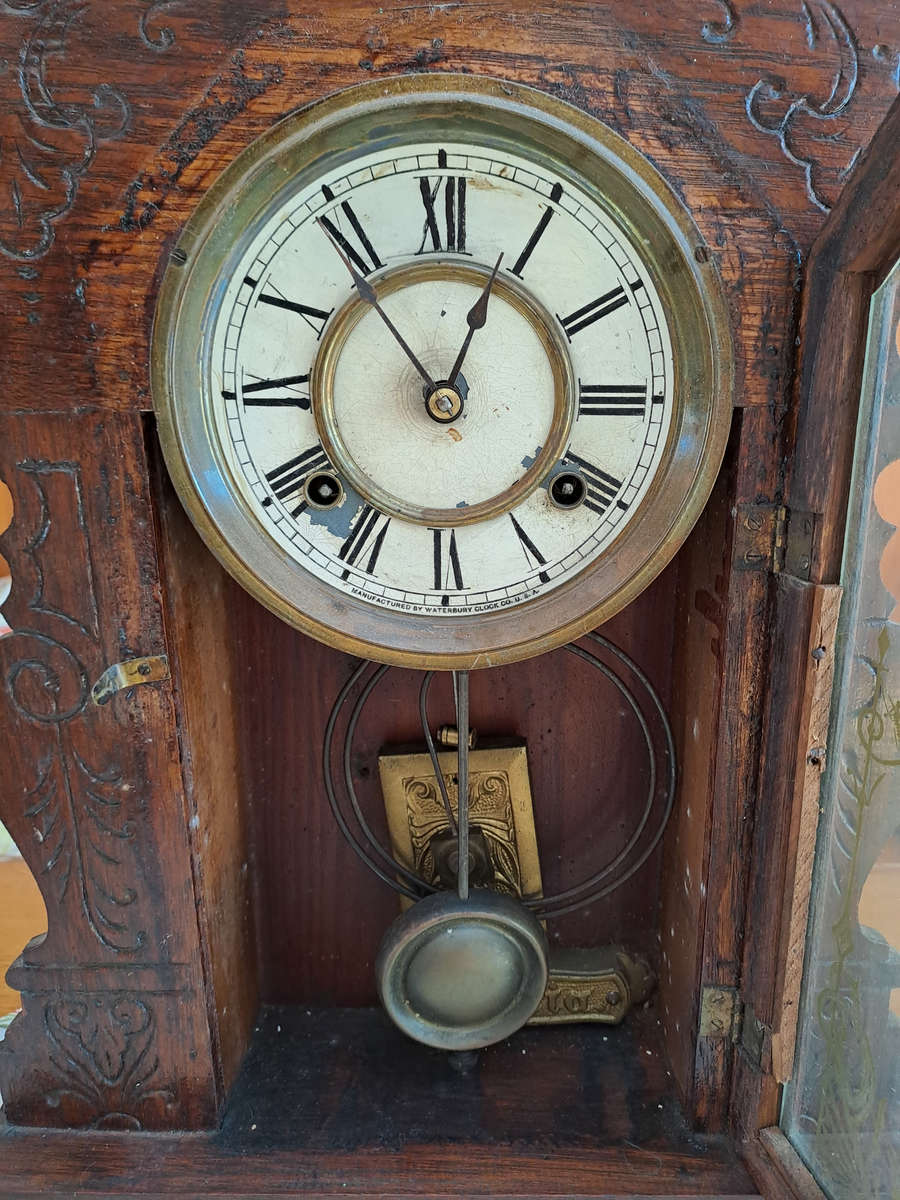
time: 12:54
